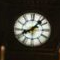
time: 8:07
